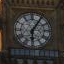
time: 6:05
